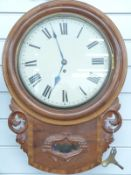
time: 6:56
